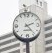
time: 2:23
